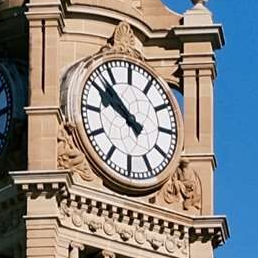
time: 9:51
